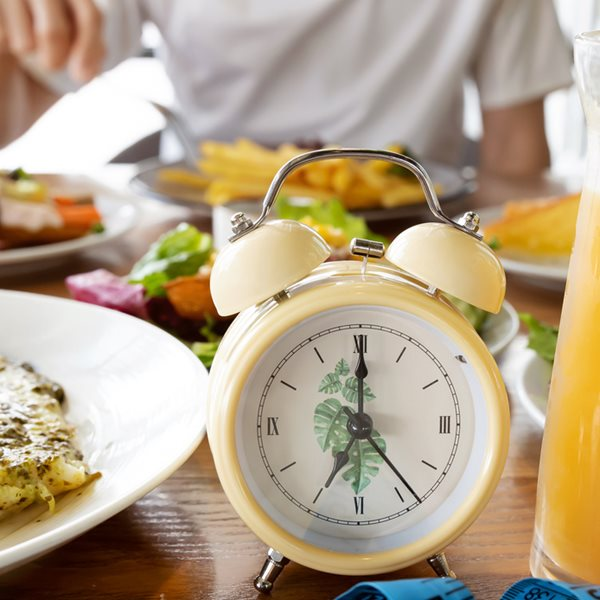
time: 7:00
